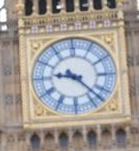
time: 9:22
